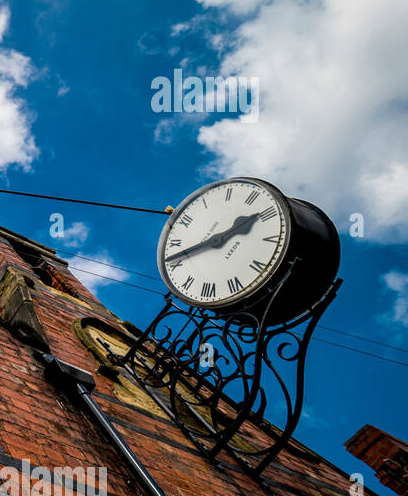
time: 1:41
